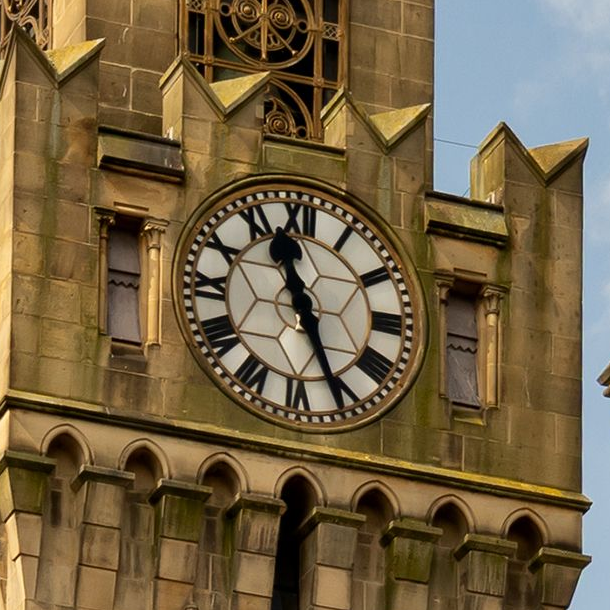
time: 11:25
